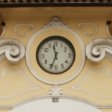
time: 11:33
